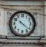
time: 10:21
